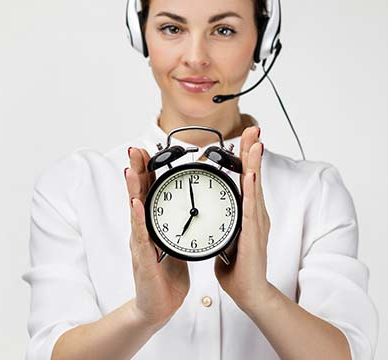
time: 6:58
